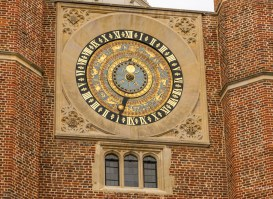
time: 11:32
